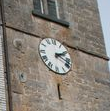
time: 2:18
